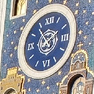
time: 1:53
